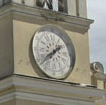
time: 1:38
